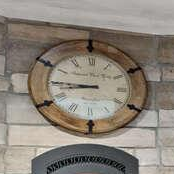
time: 8:45
